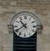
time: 10:39
